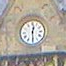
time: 12:29
